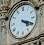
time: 4:19
